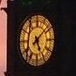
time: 5:08
